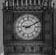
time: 9:10
